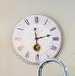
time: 6:12
